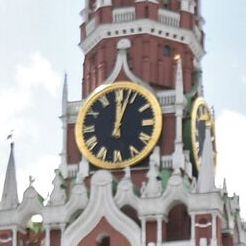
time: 12:03
